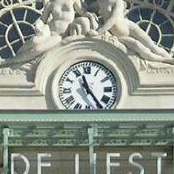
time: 11:24
